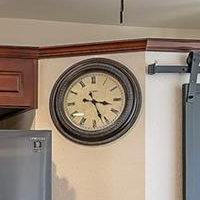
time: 3:26
